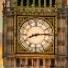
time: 8:14
